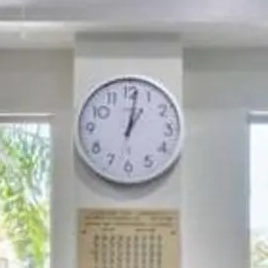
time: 1:01
